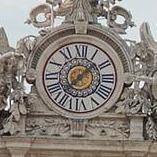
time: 1:36
